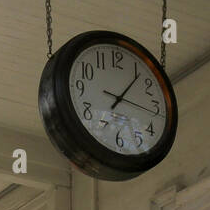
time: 7:06
